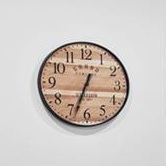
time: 12:33
